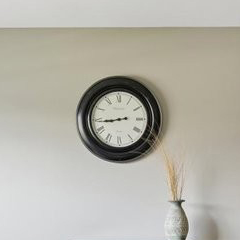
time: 8:43
